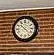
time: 10:22
